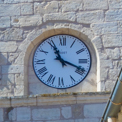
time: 11:18
